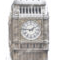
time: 1:46
